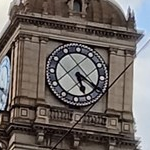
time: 5:19
